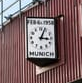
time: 3:04
